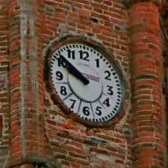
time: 9:51
